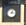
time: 3:02
